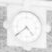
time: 4:38
